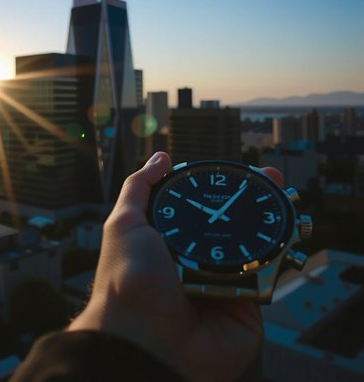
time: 10:05
